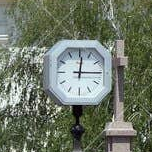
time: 12:14
